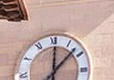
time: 12:07
